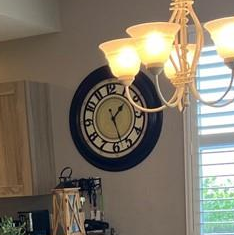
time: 1:27
